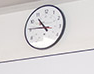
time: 10:45
